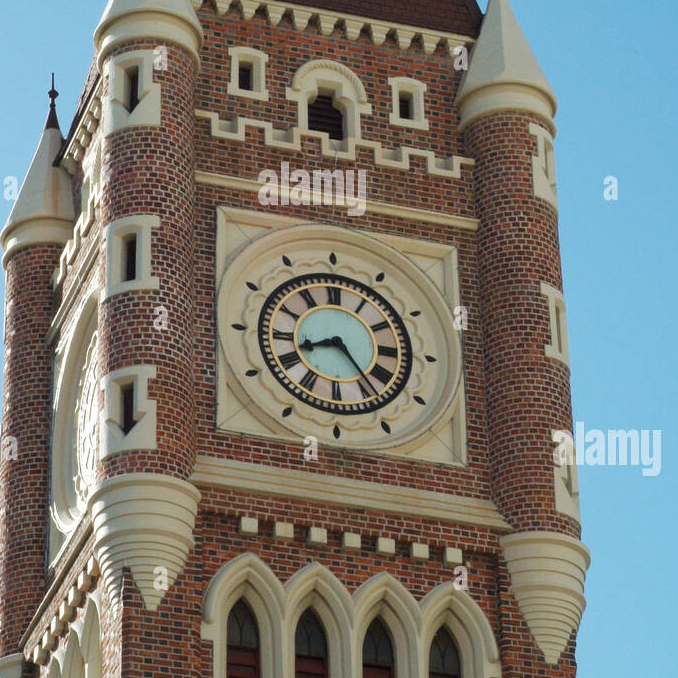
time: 8:23
